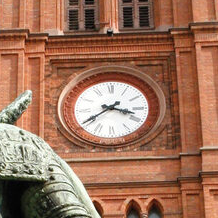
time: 3:39
